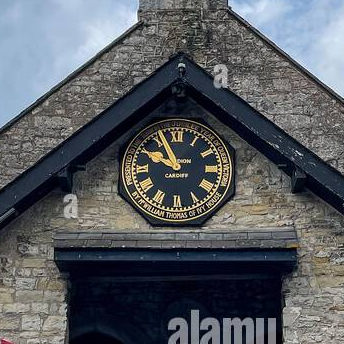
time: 9:55
